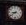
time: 8:38
